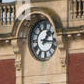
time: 1:16
